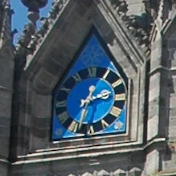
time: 2:33
